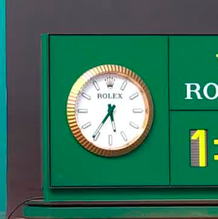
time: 5:35
